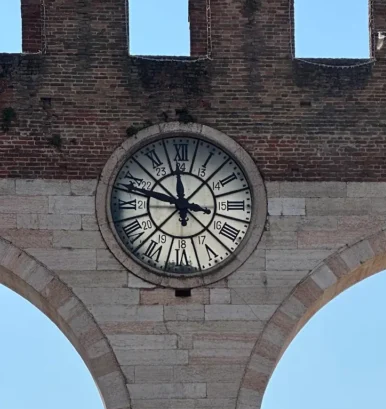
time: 11:47
